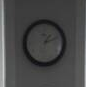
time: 1:11
